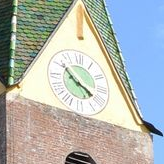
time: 3:51
